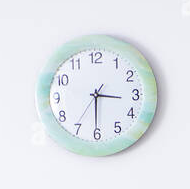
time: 3:30
